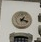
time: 1:18
